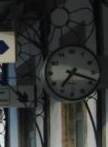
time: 7:18
